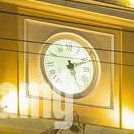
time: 5:11
